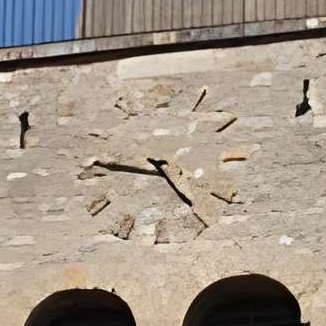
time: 4:46
